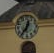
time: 12:36
